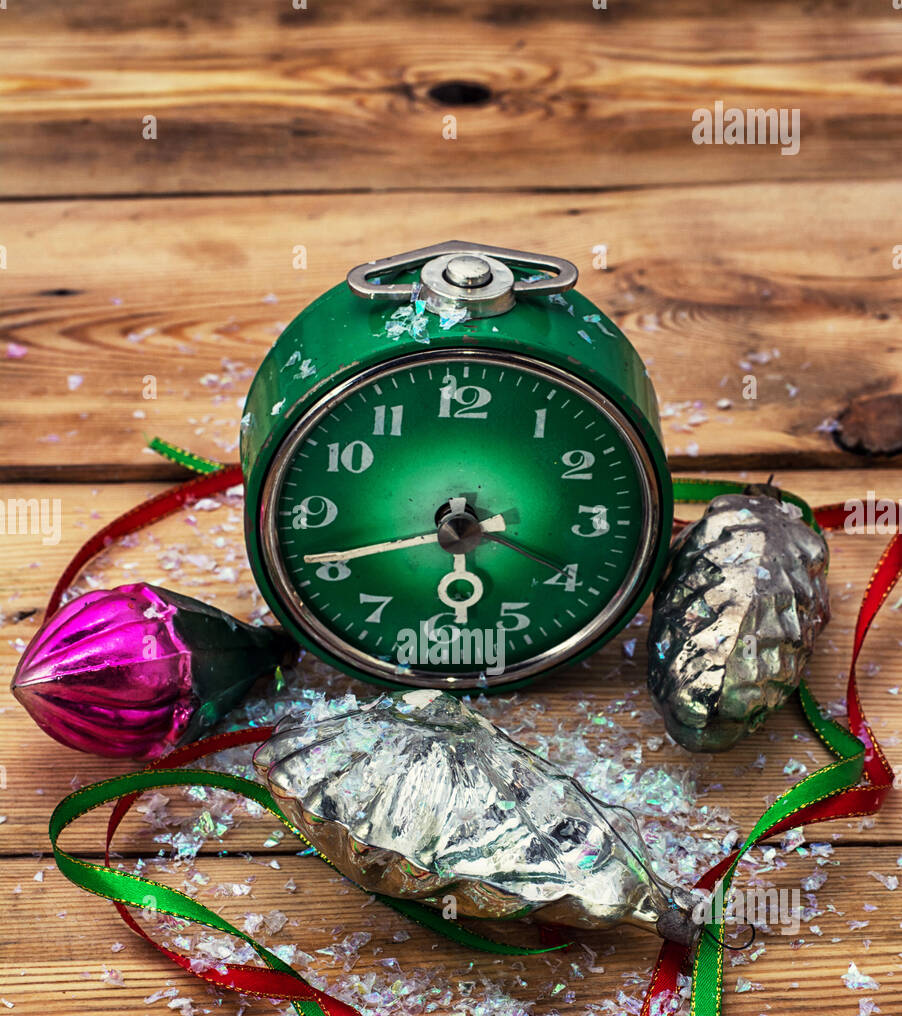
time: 5:41
